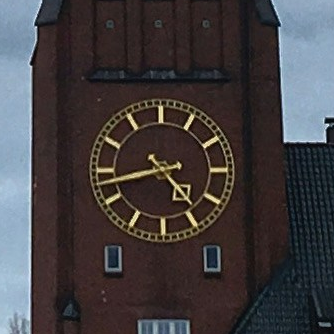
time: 4:42
